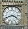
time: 3:41
